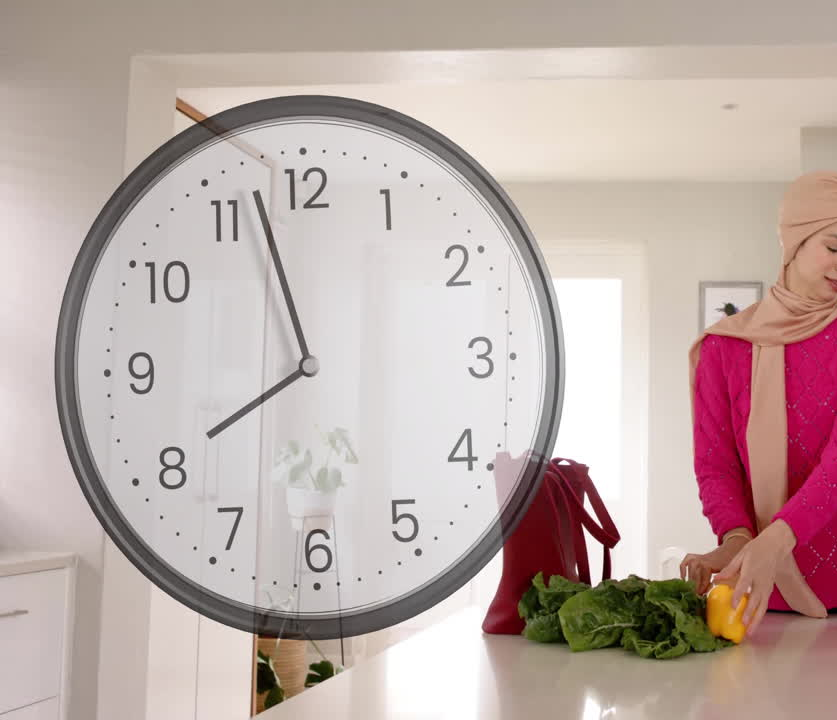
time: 7:57
